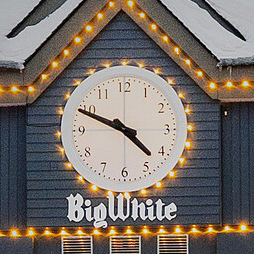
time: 4:49
